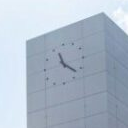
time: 11:22
